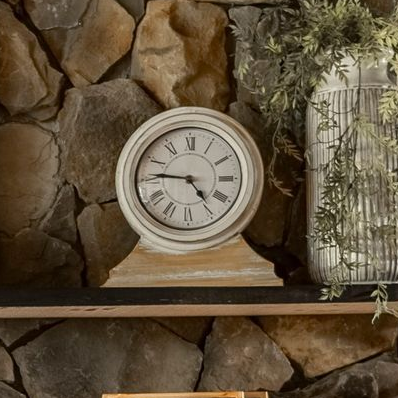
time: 4:46
